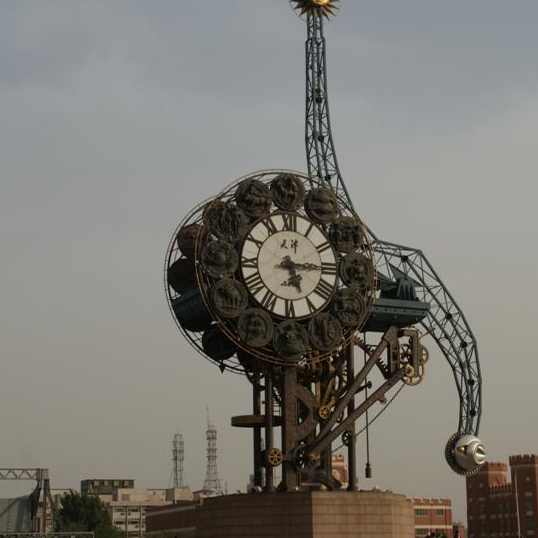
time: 5:15
